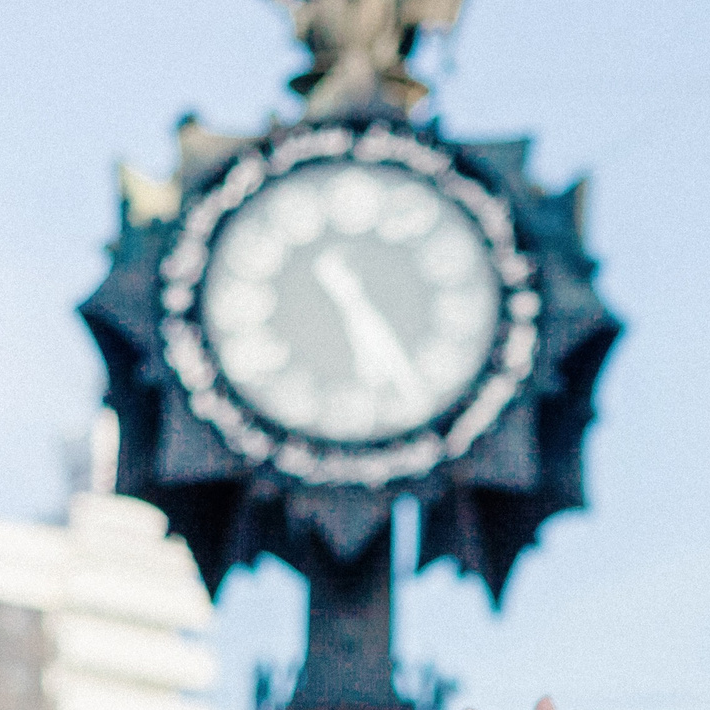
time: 5:24
